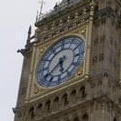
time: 5:38
